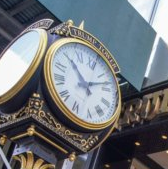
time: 11:12
